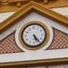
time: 5:23
